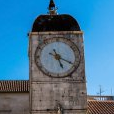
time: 5:19
